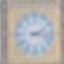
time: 2:16
